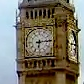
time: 6:14
